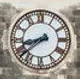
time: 8:38
